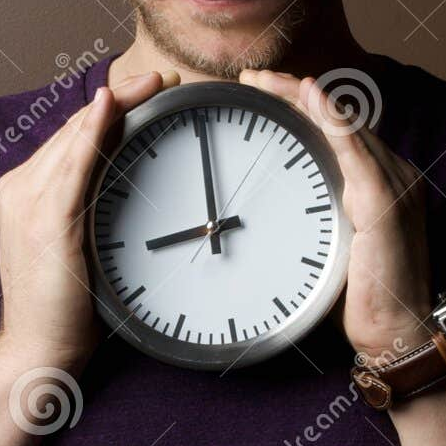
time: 9:00
